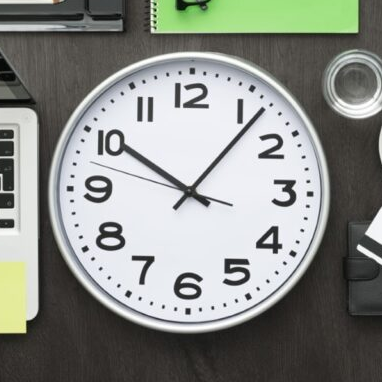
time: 10:06
